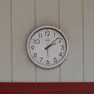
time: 2:08
